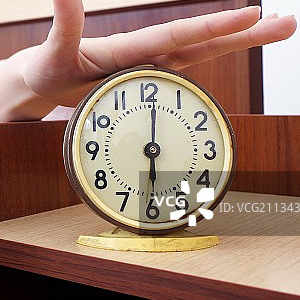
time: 6:00
